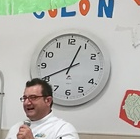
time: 12:40
